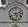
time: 5:11
